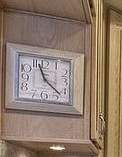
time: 11:22
